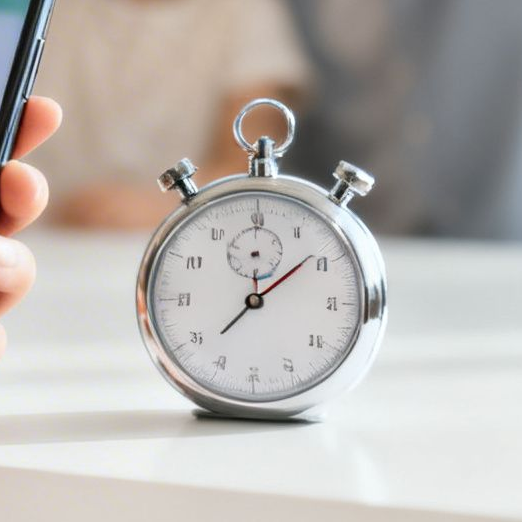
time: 12:08
